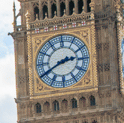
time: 2:40
